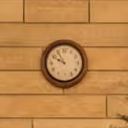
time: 9:54
